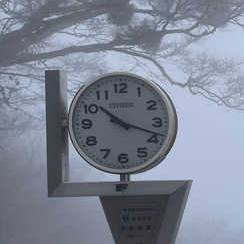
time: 10:18
